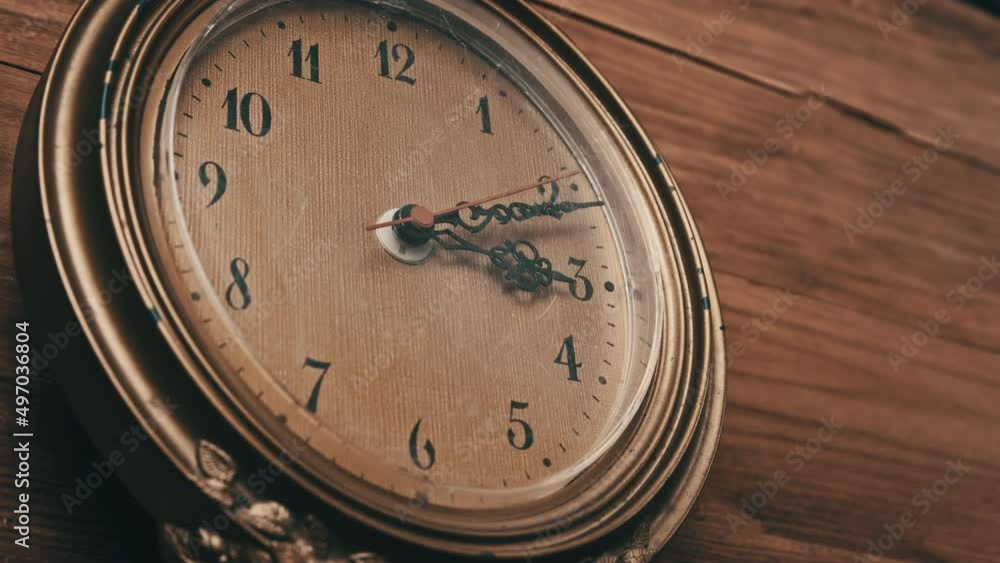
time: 3:11
